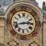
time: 2:42
